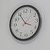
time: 3:54
